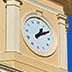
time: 1:10
